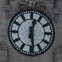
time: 12:28
